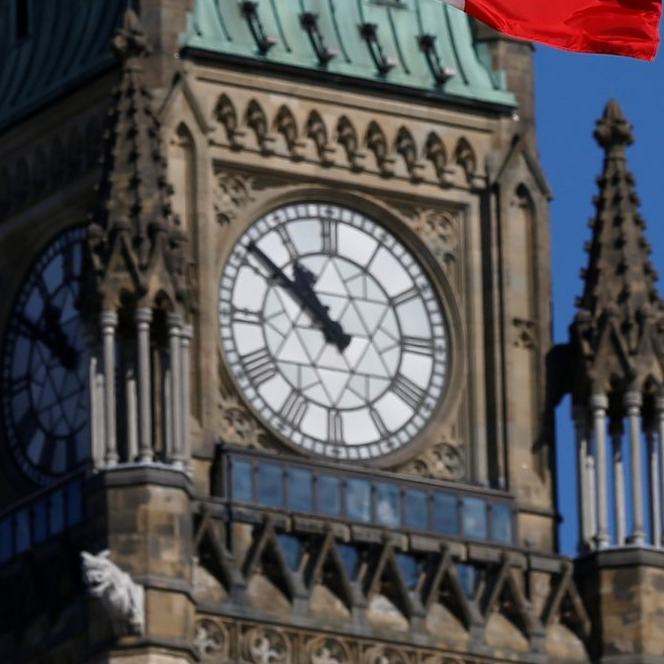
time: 10:51
